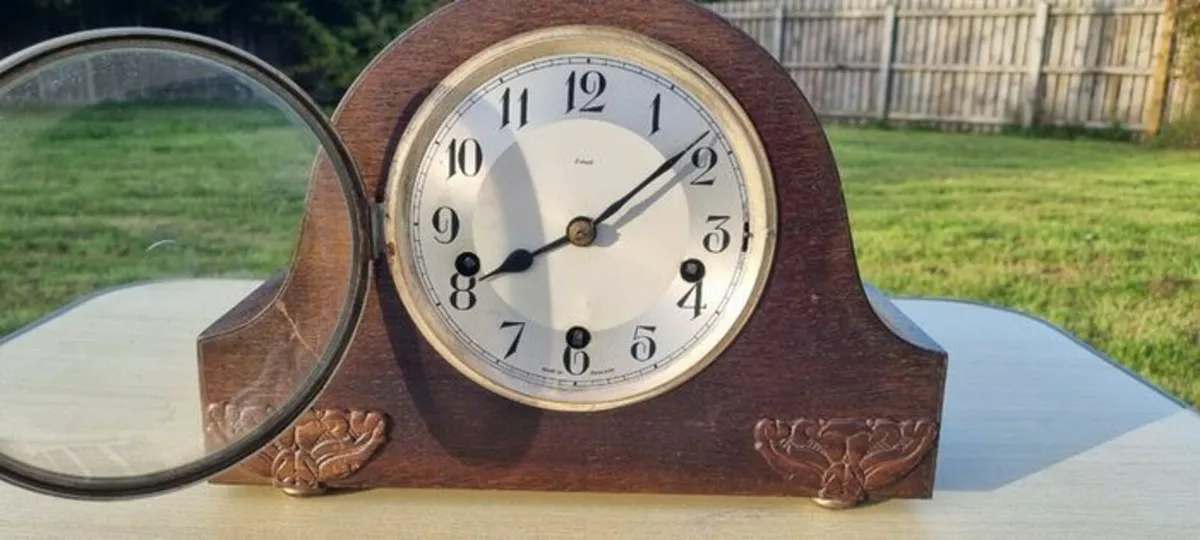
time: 8:08
